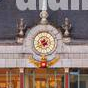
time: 6:40
